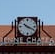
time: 10:19
